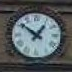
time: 12:51
